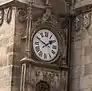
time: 1:49
